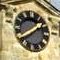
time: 1:39
